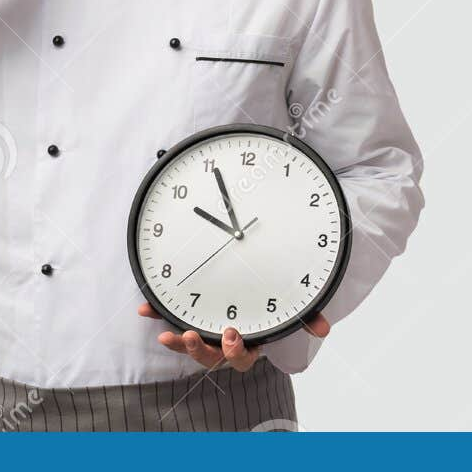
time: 9:55
